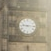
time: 9:15
